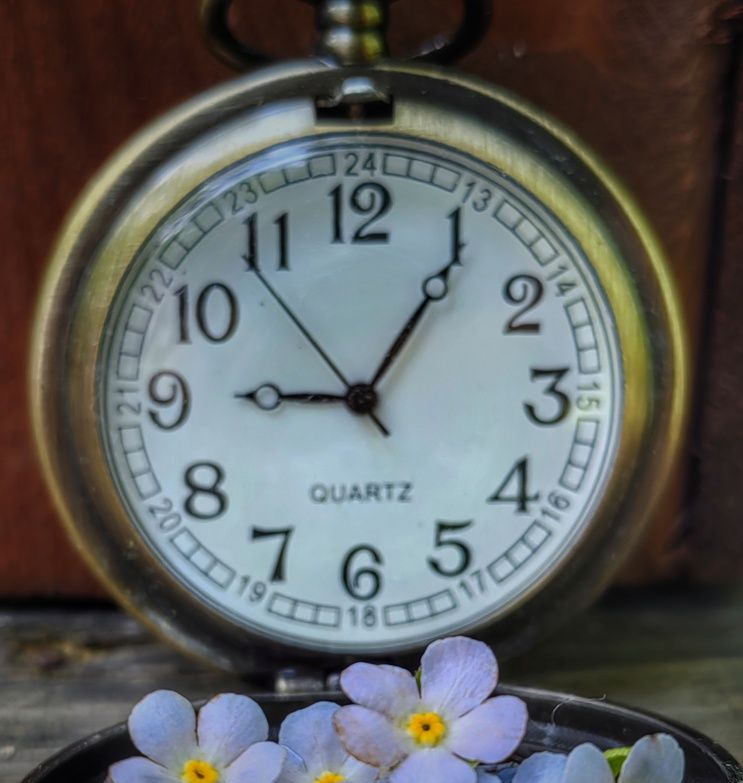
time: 9:05
